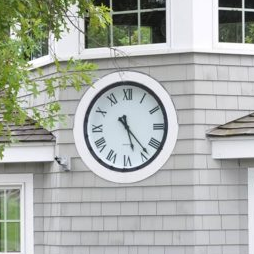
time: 5:23
